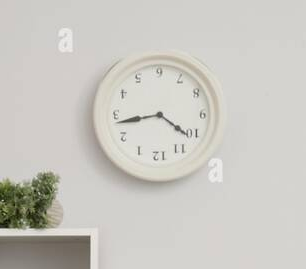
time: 8:43
